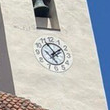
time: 1:55
